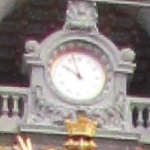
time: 9:57
